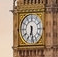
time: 6:28
